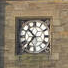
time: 10:36
